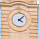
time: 4:07
